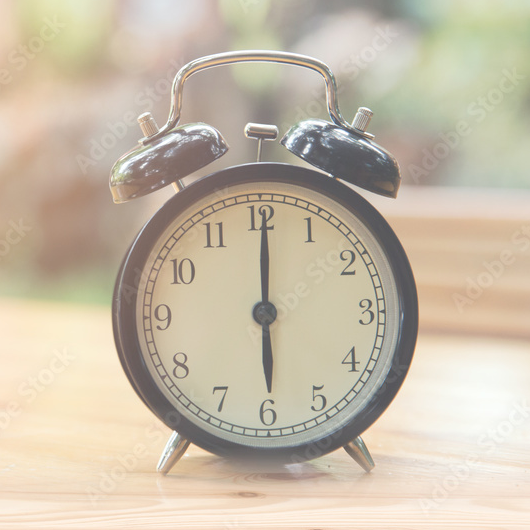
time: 6:00
